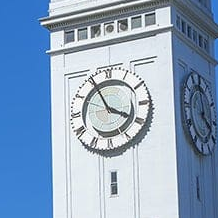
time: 3:55
